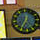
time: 12:34
